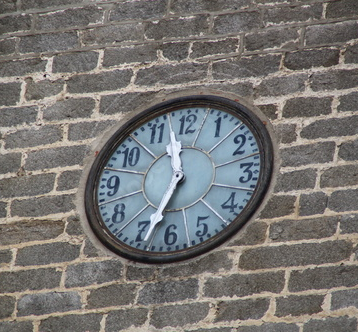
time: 11:33
